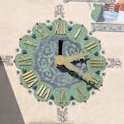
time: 12:19
